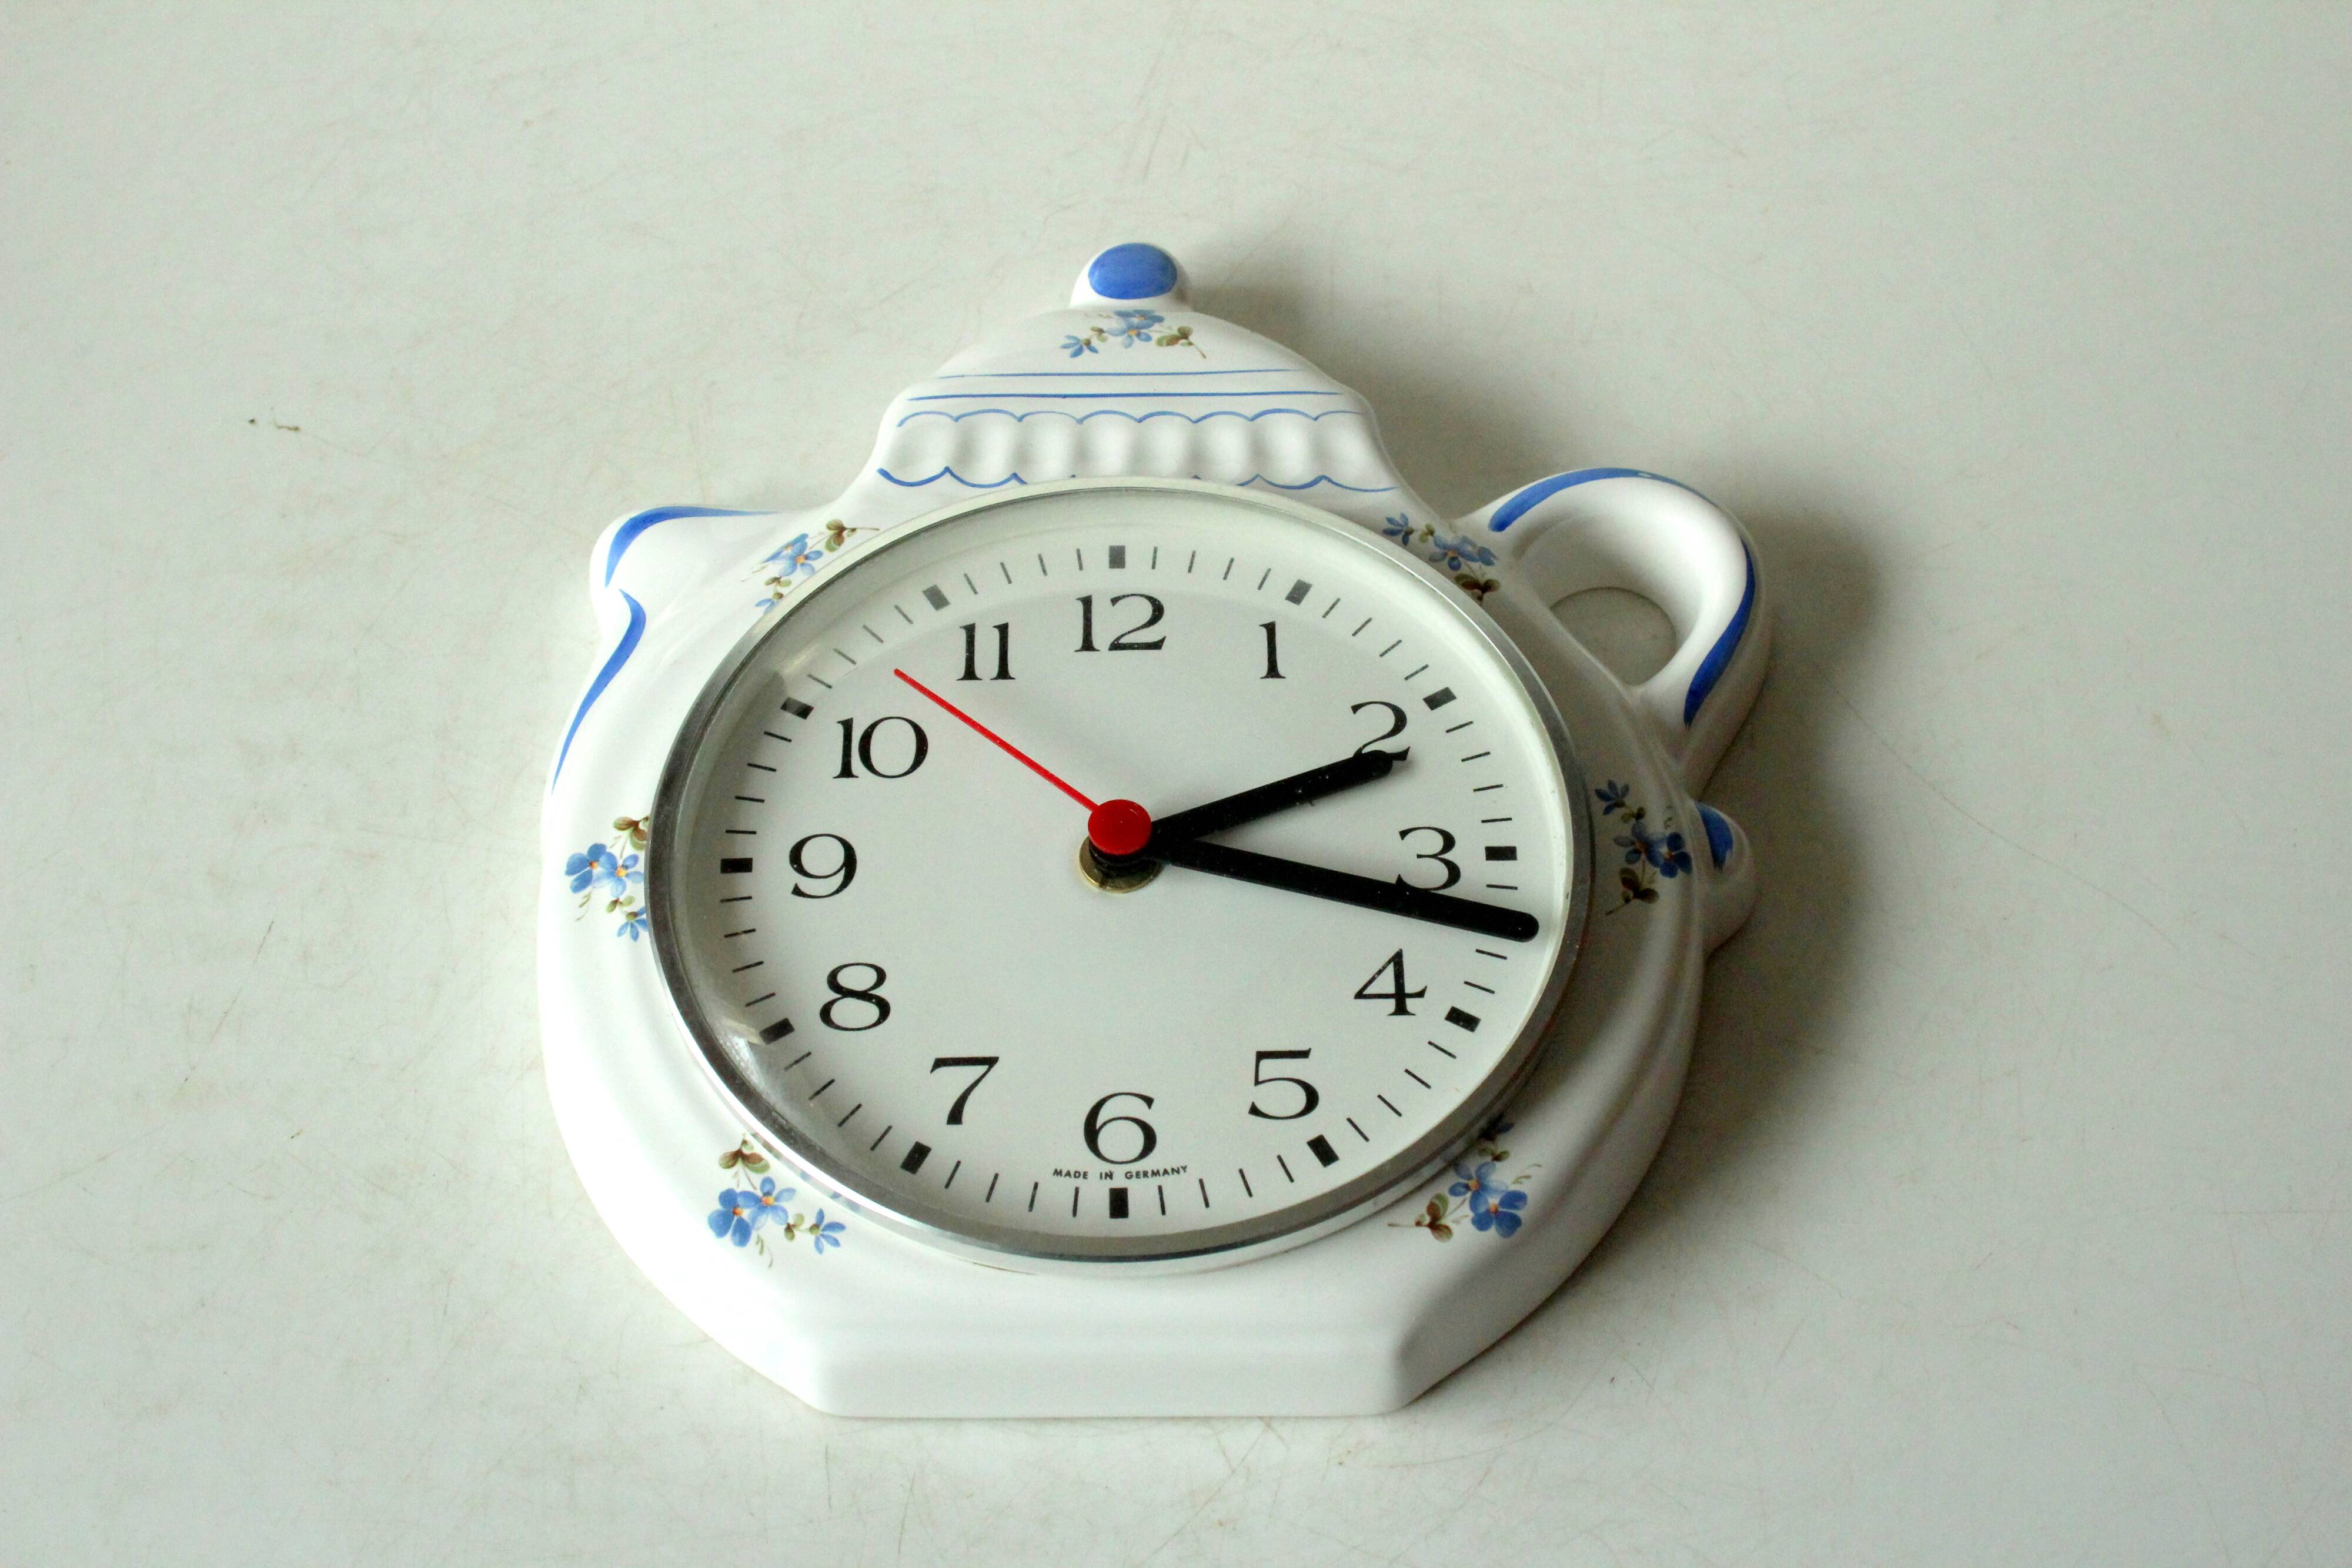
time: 2:17
